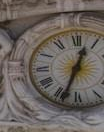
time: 12:33
